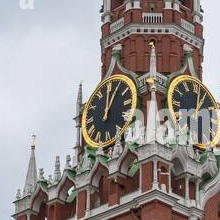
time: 12:05
